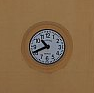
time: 10:41
